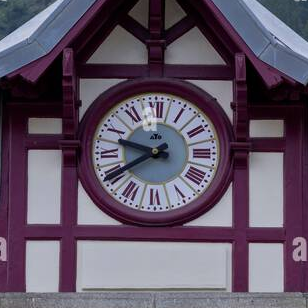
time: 9:39
